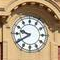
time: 9:39
